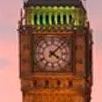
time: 4:07
